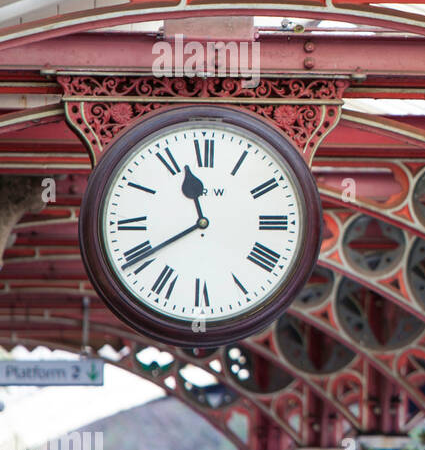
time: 11:39
